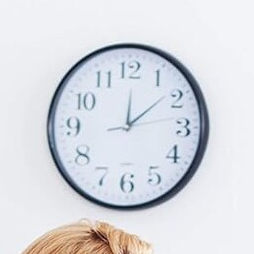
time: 12:08
